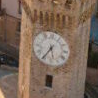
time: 5:35
